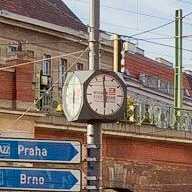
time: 5:59
